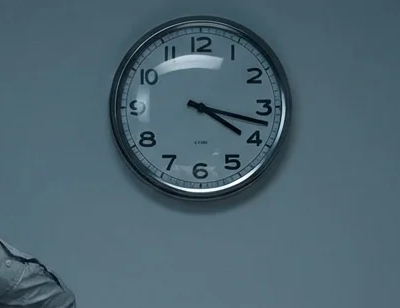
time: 4:17
